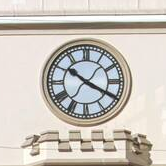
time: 10:19
